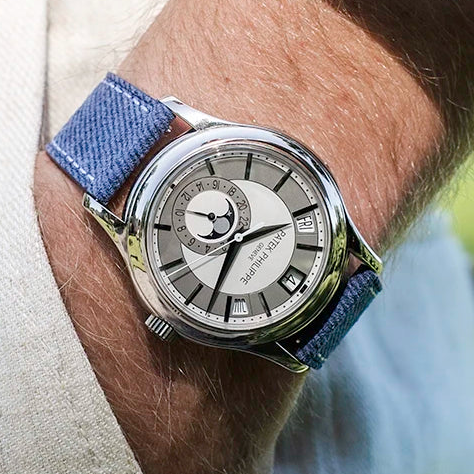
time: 2:32
